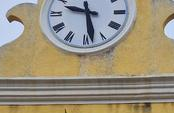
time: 9:28
